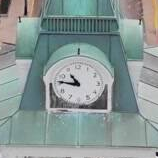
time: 10:46
